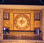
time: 9:01
